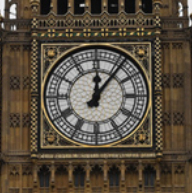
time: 12:06
